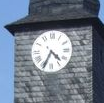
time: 4:34
